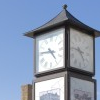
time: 4:46
